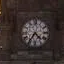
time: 4:36
